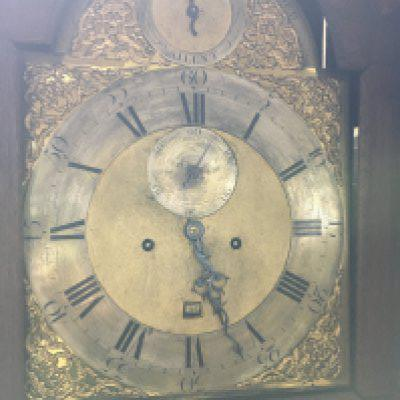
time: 5:26
